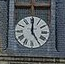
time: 5:00
